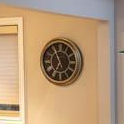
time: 6:55
